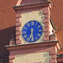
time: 6:29
